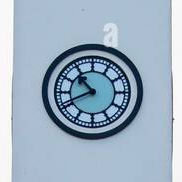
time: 10:40
